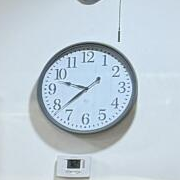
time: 9:38
